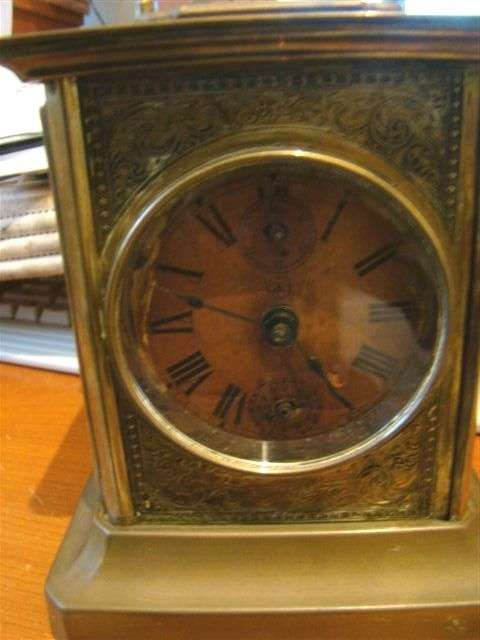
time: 9:22
